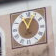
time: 11:04
